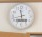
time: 11:28
